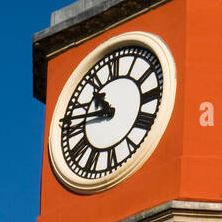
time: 10:47
